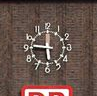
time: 5:46
